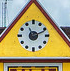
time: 11:11
